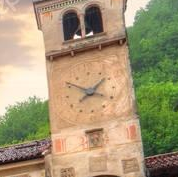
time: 1:50
